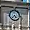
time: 4:37
